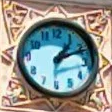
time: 1:10
